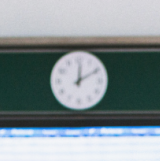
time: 12:09
